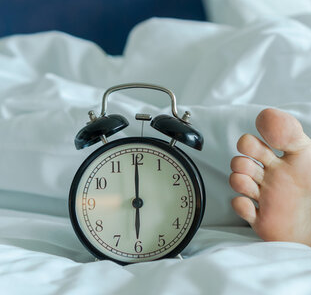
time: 6:00
